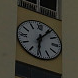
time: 6:06
